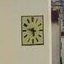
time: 5:47
